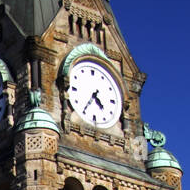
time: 4:35
